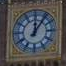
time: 12:06
